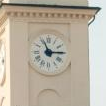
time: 11:14
